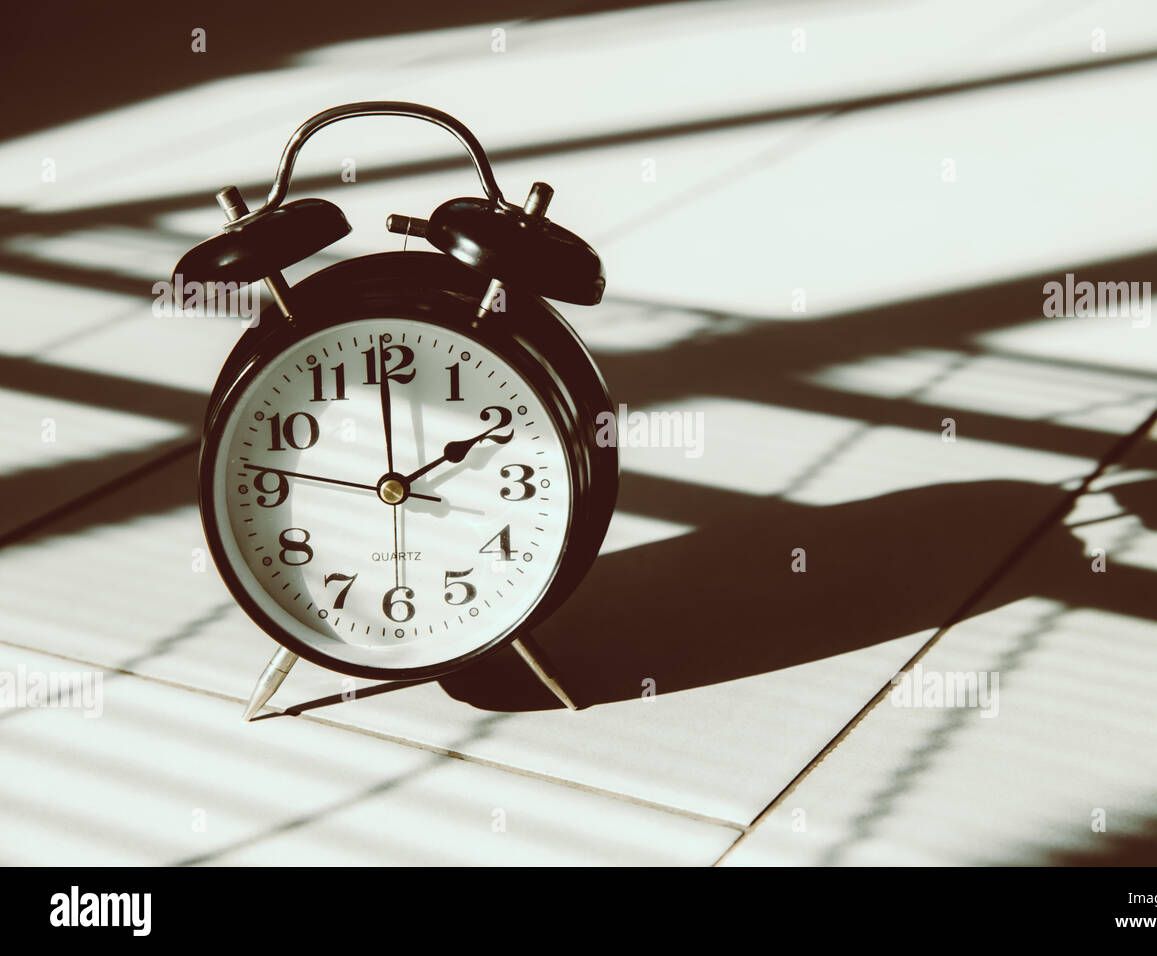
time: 1:59
